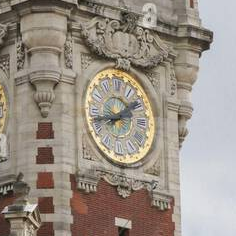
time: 1:42
